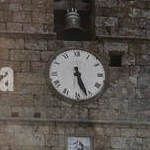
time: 5:26
